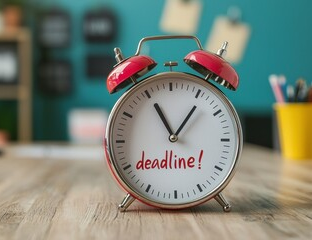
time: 11:06
